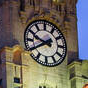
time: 9:40
